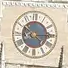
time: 8:15
